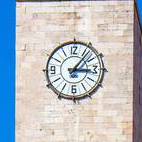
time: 3:06
